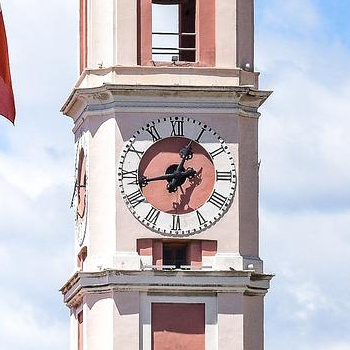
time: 12:43
